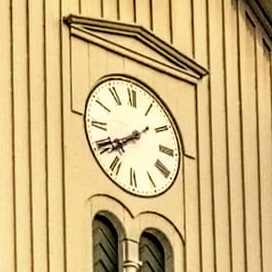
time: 7:40
